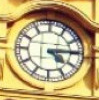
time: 4:14
